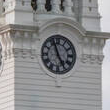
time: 4:57
